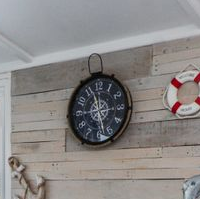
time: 11:28
